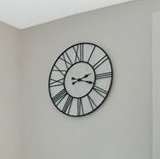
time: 2:18
